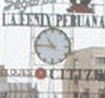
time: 10:45
